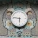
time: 5:46
